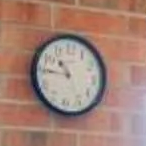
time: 10:45
